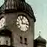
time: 11:13
